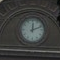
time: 12:11
